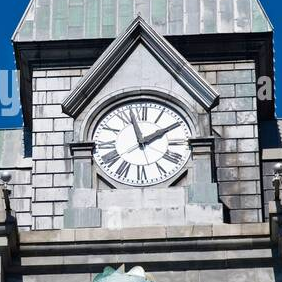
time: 1:57
